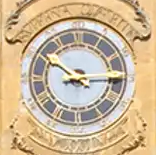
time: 10:14
